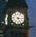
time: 5:15
